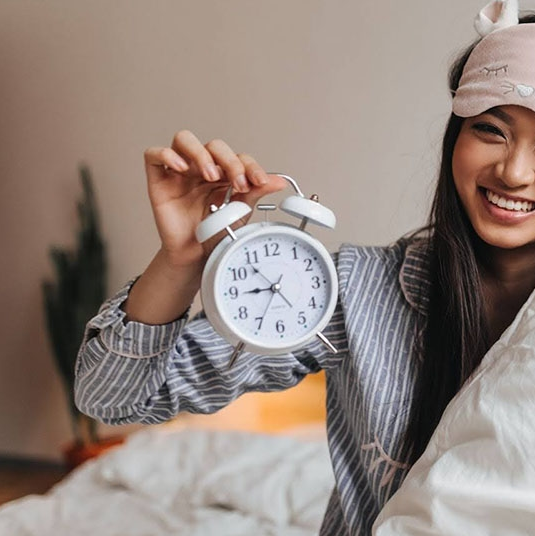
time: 8:53
